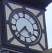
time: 4:37
